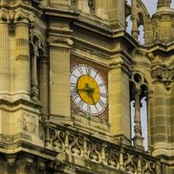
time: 4:42
